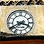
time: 3:40
